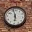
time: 5:57
